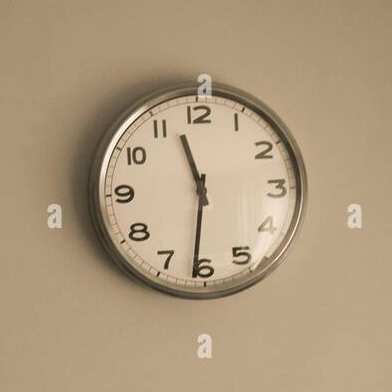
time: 11:31
